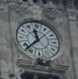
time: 11:37
